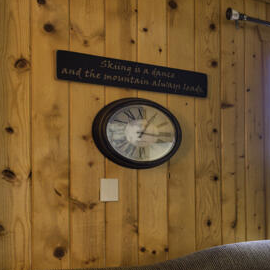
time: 3:04
